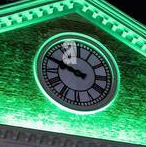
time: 9:48
